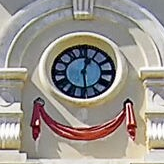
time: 12:28
